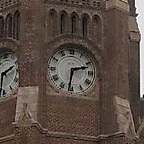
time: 2:31
